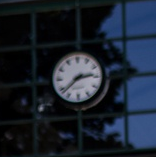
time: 2:38
